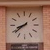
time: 8:38
